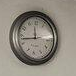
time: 11:43
